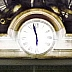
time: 5:57
